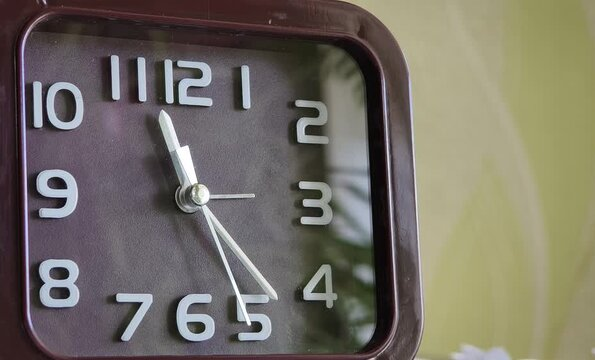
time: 11:24
